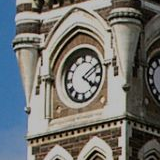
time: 4:09
